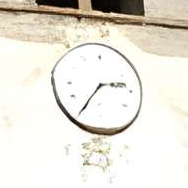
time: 2:35
